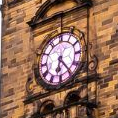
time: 6:24
